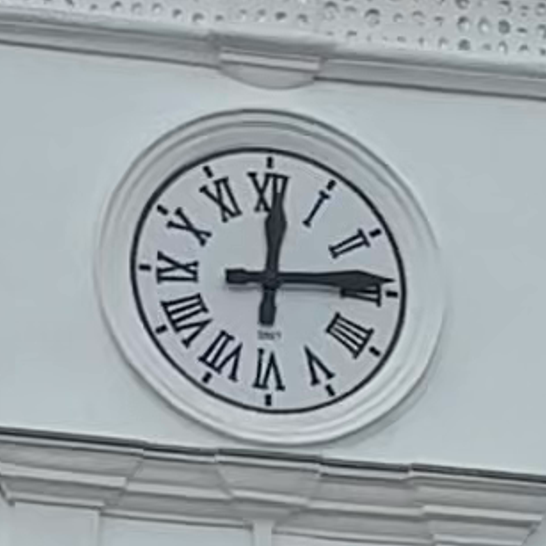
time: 12:13
